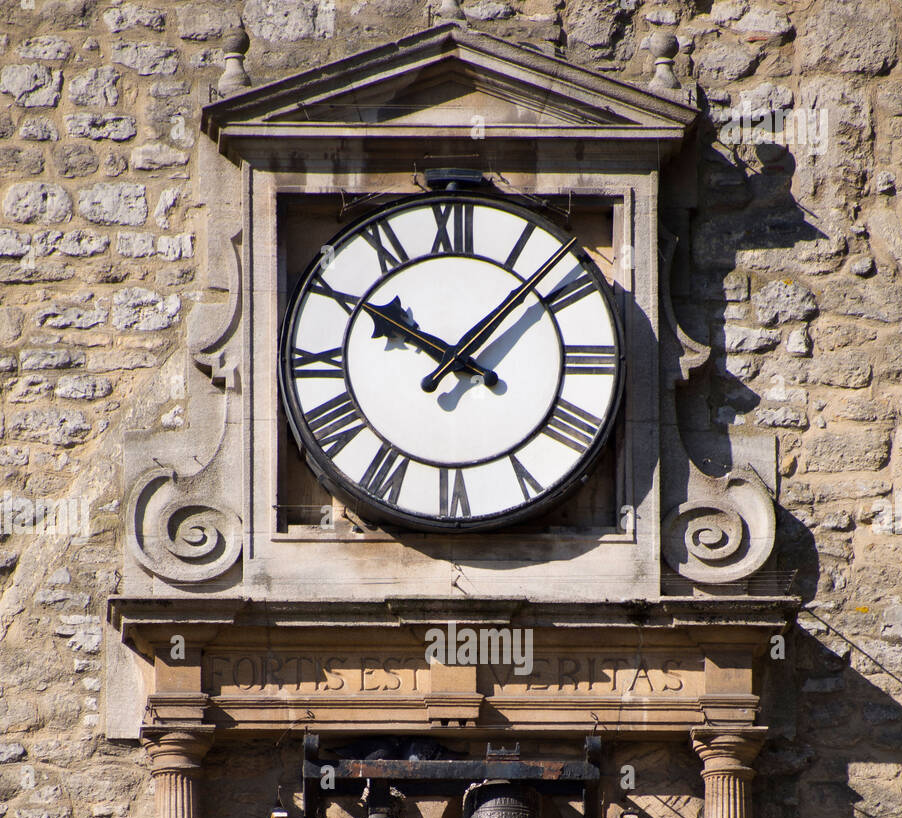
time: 10:07
